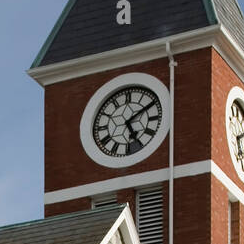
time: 5:09
